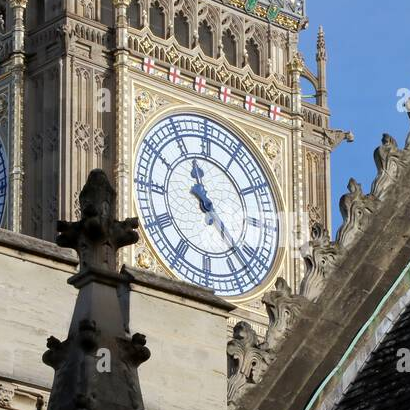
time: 11:22
